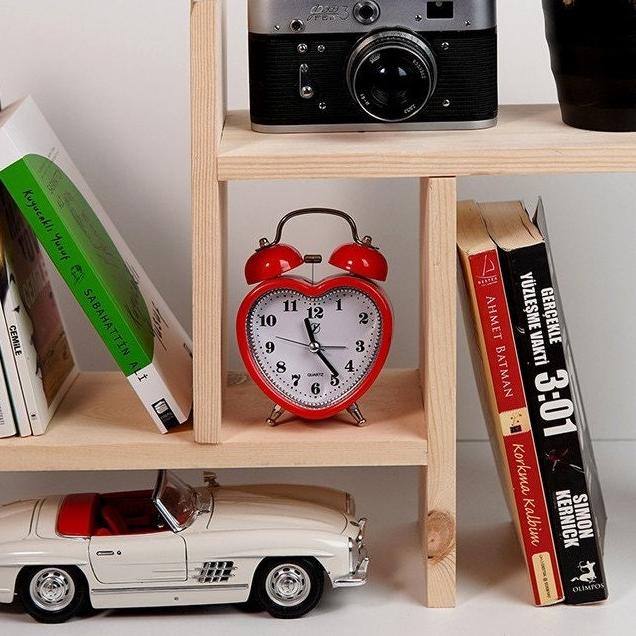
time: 11:23
